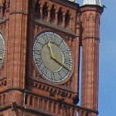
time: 11:18
